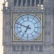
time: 6:48
